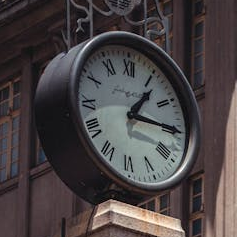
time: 1:14
